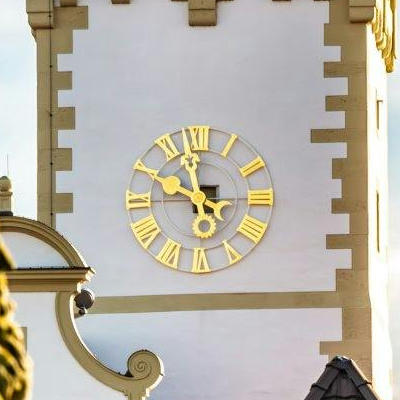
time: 9:57
